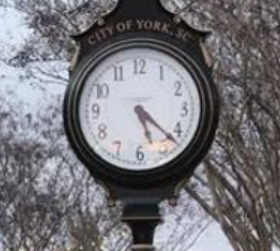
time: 5:22
